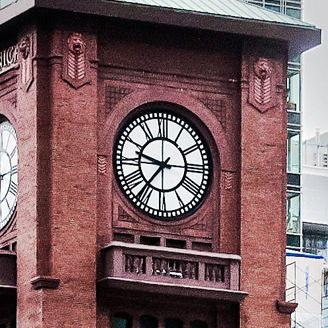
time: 9:36
